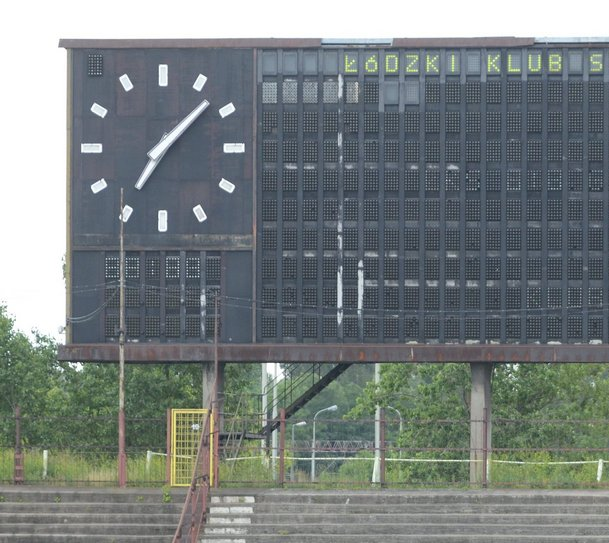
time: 7:07
